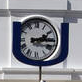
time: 2:15
